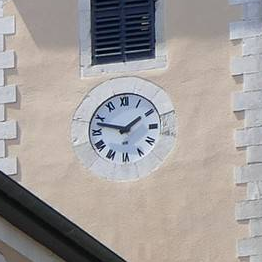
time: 1:47
